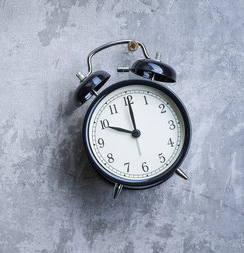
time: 10:00
